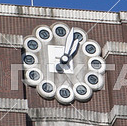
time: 1:02
